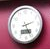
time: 5:12
